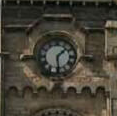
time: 1:28
